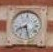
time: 8:27
